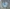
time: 3:58
